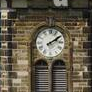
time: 2:09
